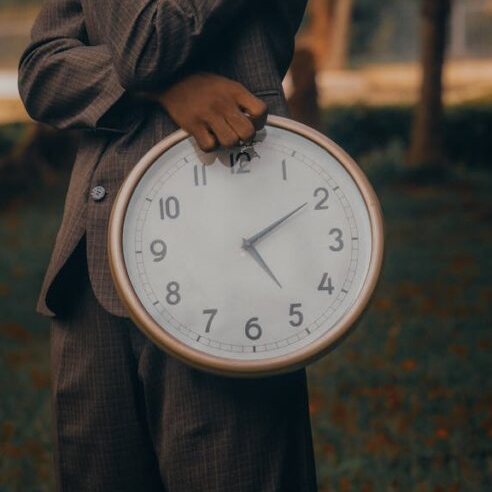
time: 5:09
